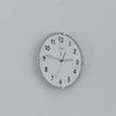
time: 2:46
